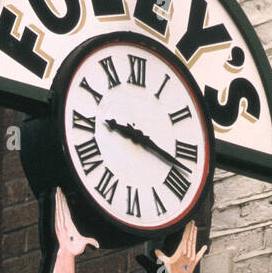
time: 9:17
